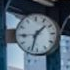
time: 1:33
